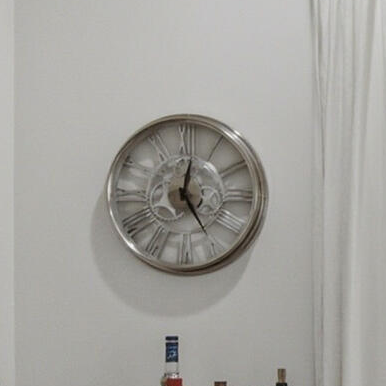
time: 5:01
